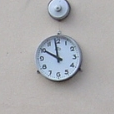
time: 9:58
